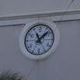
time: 11:07
